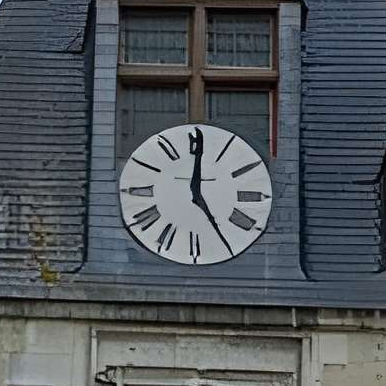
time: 5:00
